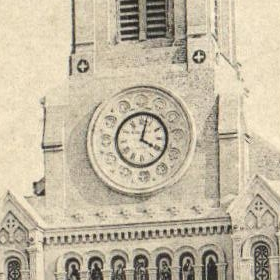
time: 4:02
